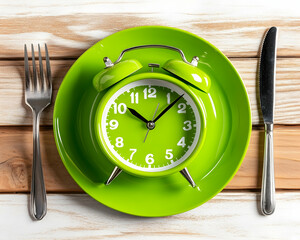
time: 10:07
